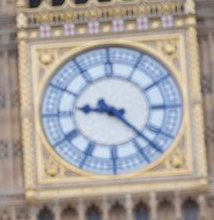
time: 9:22
